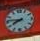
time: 7:46
